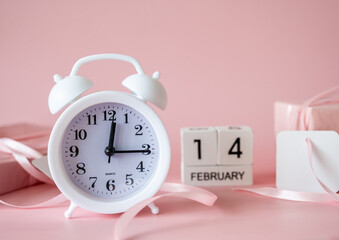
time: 12:15
